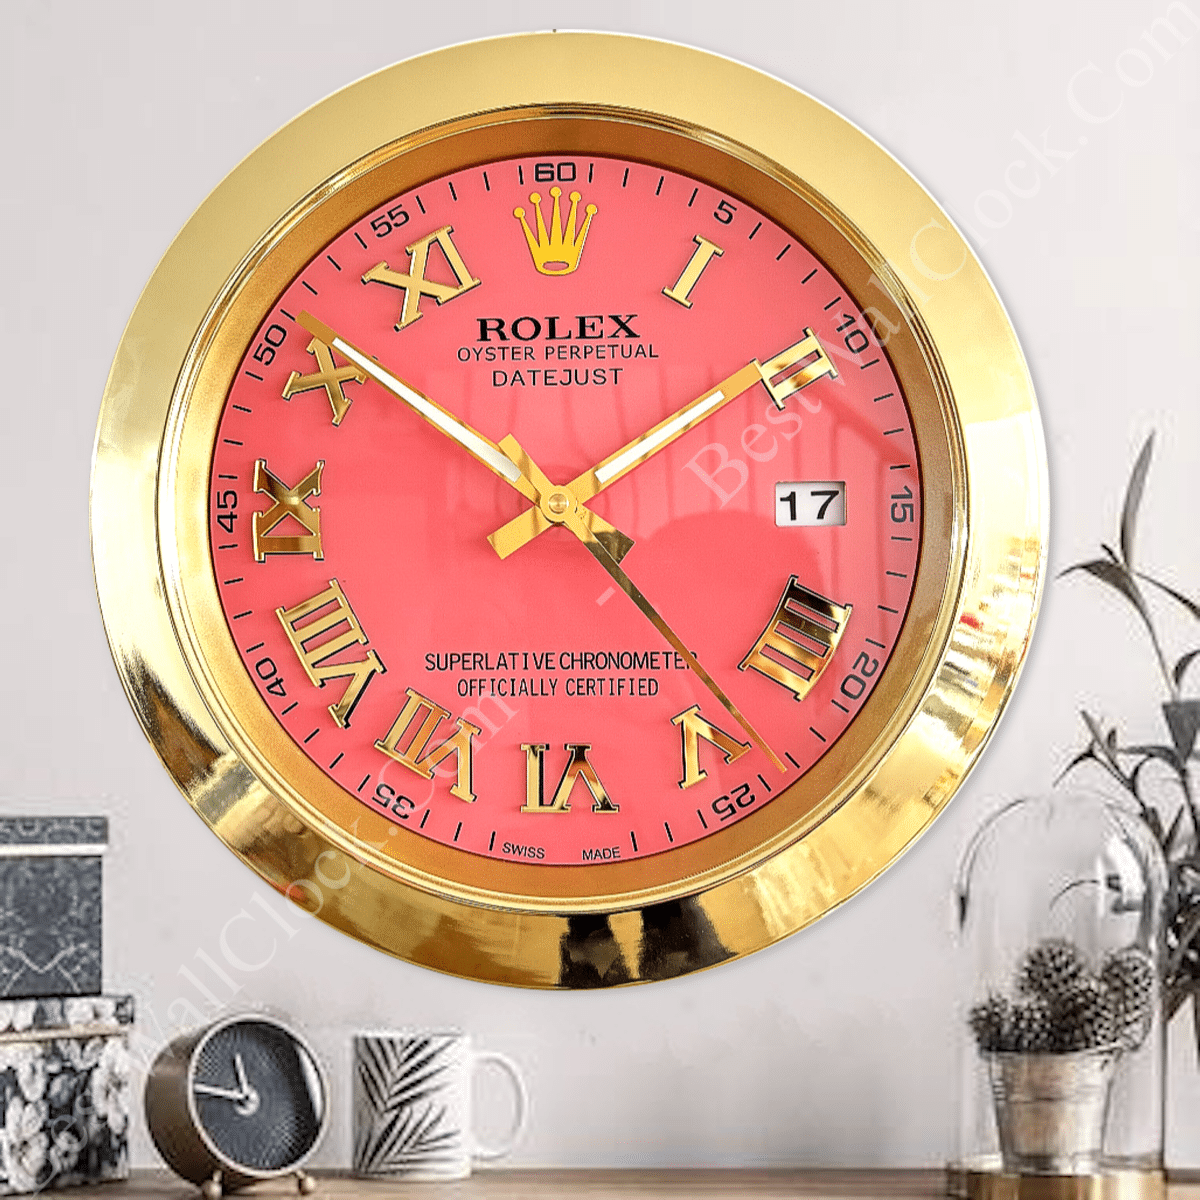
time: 1:51
